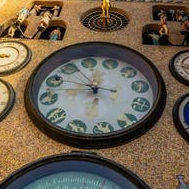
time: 10:47
